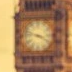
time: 3:47
